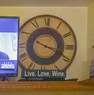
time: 3:48
